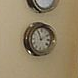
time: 11:09
